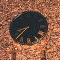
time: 8:37
